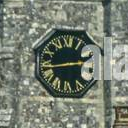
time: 2:43
